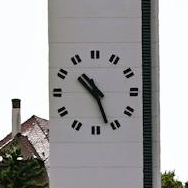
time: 10:26
